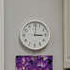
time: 3:01
